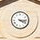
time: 4:16
